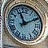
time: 11:09
